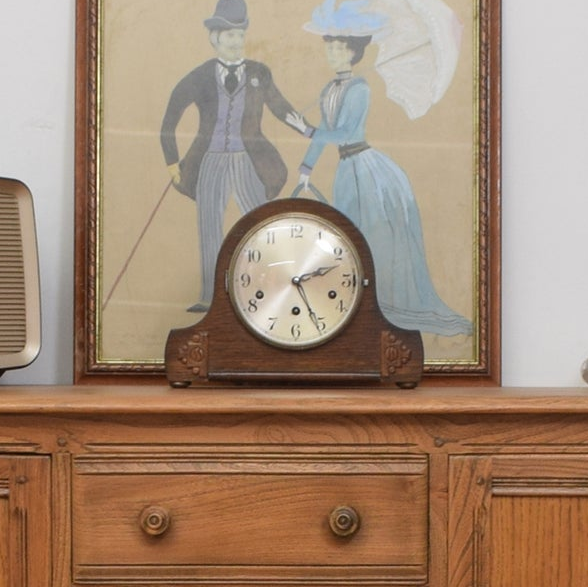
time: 2:25
